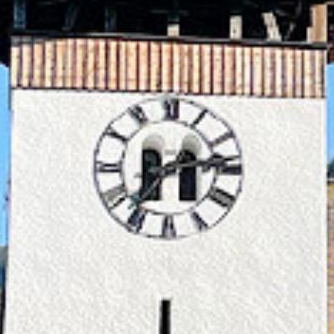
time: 7:13
